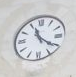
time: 11:21
